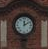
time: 12:09
